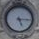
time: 5:15
